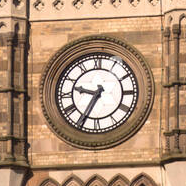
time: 9:34
